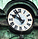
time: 9:55
